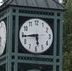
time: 5:44
